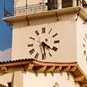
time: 4:29
